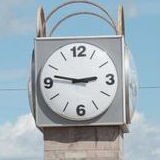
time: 2:46
